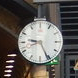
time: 9:25
